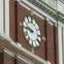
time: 9:45
